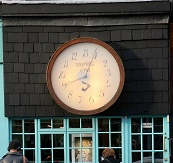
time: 8:03
